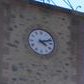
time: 4:12
